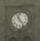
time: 11:24
